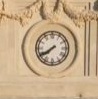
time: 7:40
